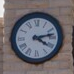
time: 4:12
